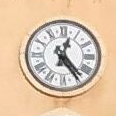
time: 12:23
